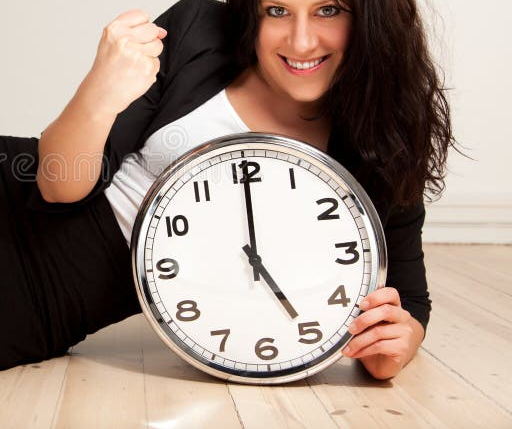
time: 5:00
